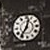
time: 12:36
